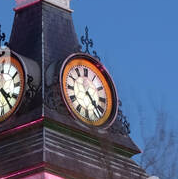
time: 4:22
